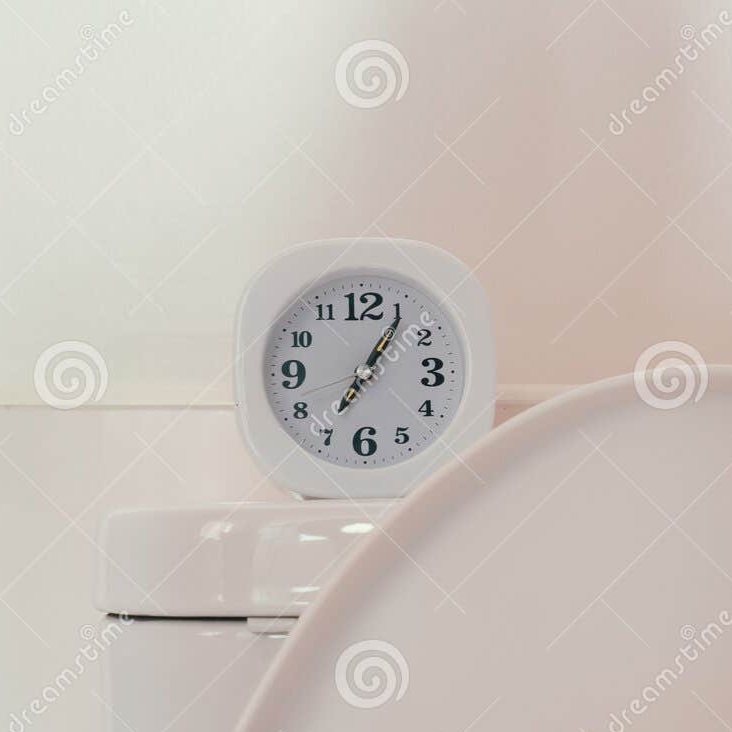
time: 7:05
